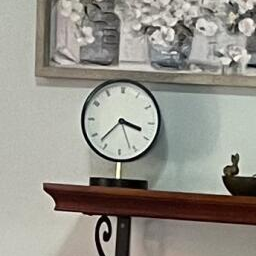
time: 3:37
